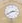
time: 2:40
